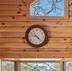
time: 9:22
